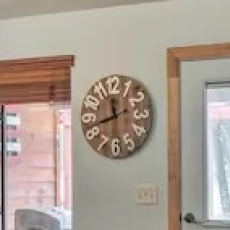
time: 11:42
